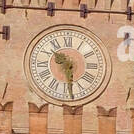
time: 10:28
